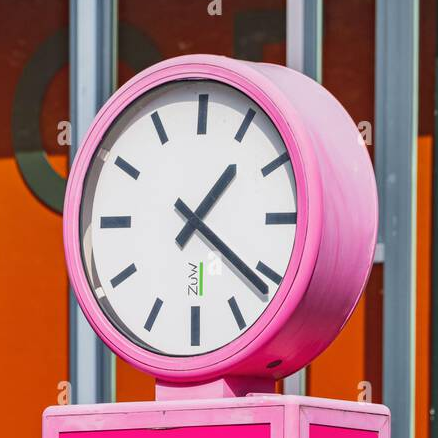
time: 1:21
